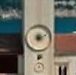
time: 4:10
